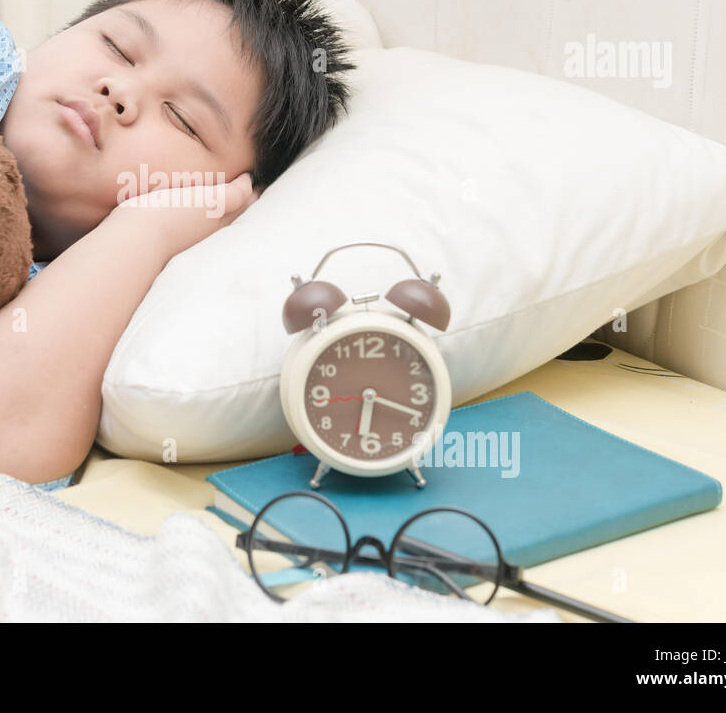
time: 6:18
